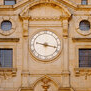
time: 9:17
